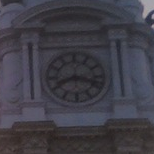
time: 8:17
